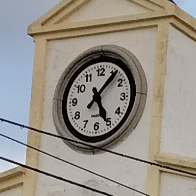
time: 5:06
